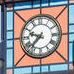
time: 9:37
